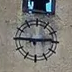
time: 2:45
